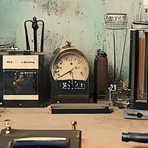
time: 5:40
